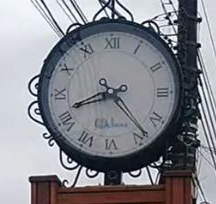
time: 8:23
